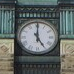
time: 5:00
